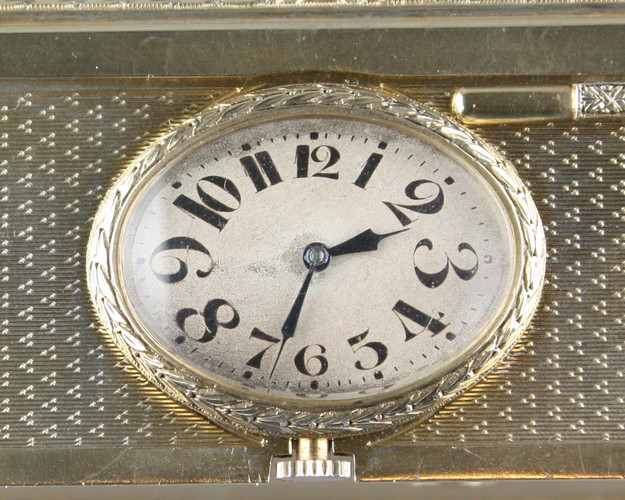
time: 2:33
